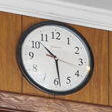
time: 10:28
